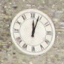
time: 12:03
